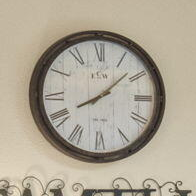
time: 8:07
